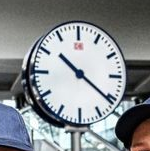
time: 10:21
